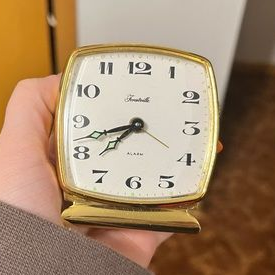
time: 7:42
